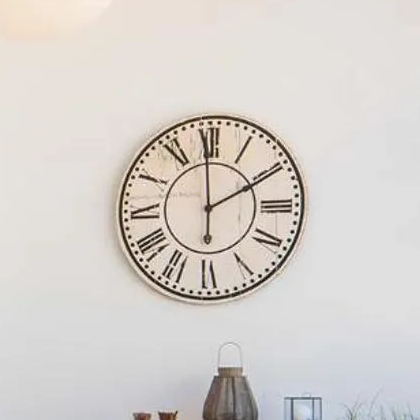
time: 1:59
